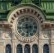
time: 2:43
